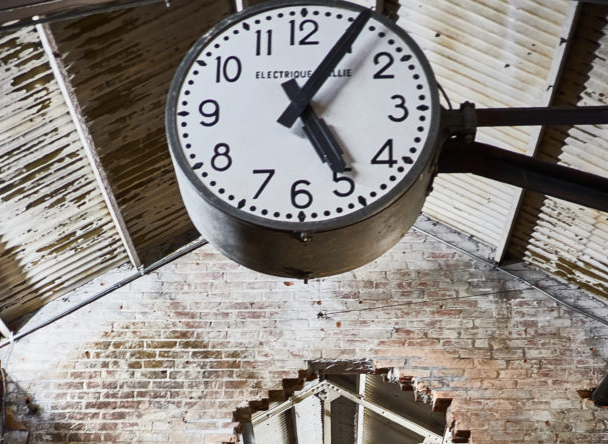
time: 5:05
